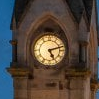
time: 5:12
